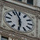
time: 5:57
